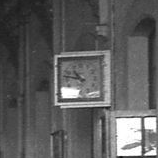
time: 10:47
